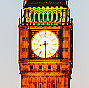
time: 8:30
